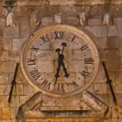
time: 5:32
